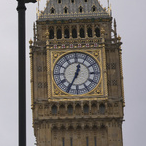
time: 12:34
